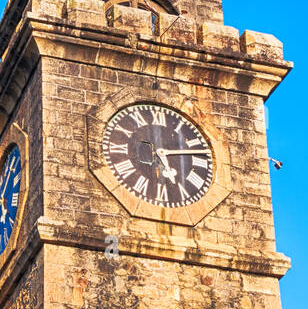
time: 5:13
